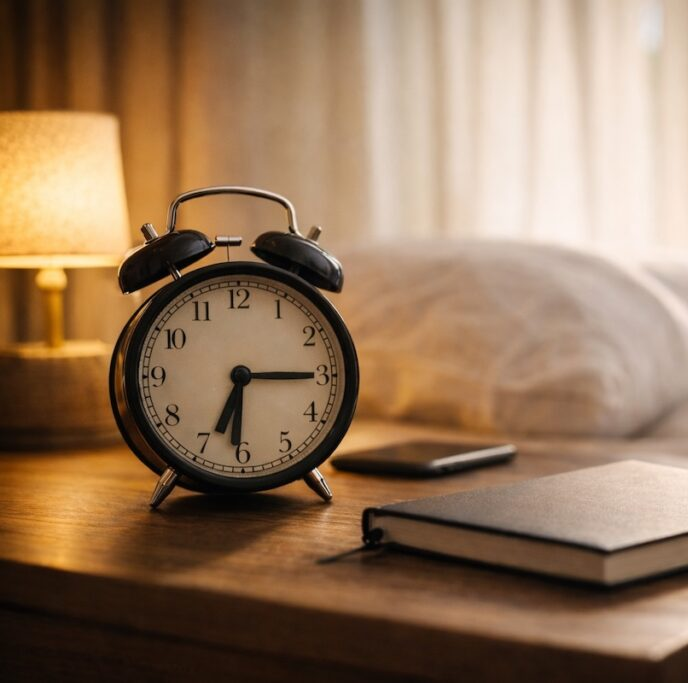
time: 6:15
